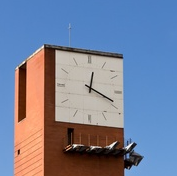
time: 12:18
